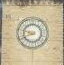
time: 9:40
